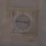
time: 2:46
